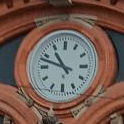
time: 10:48
